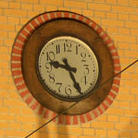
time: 9:25
